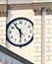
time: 5:53
